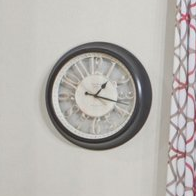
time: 1:17
